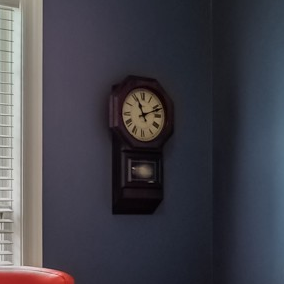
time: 11:12
